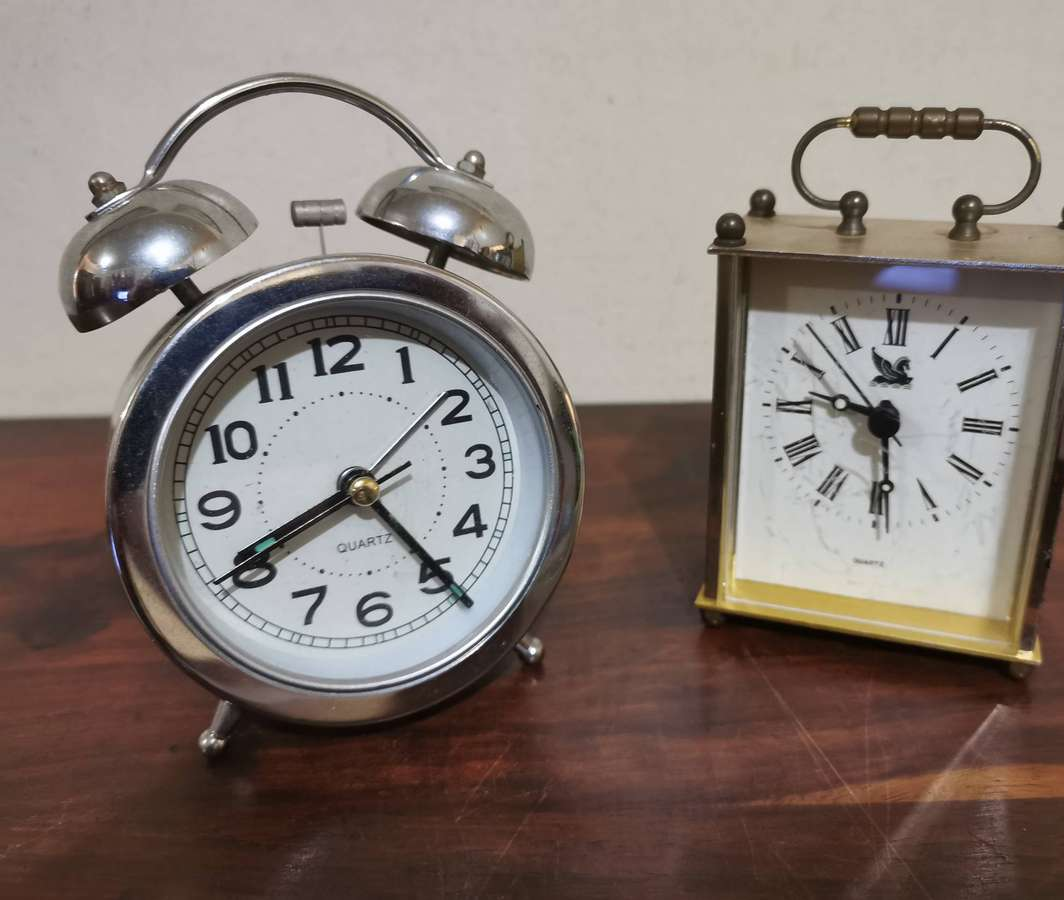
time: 8:24
